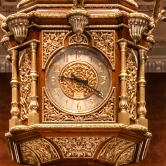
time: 9:20
